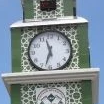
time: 11:32
